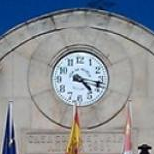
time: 4:17
